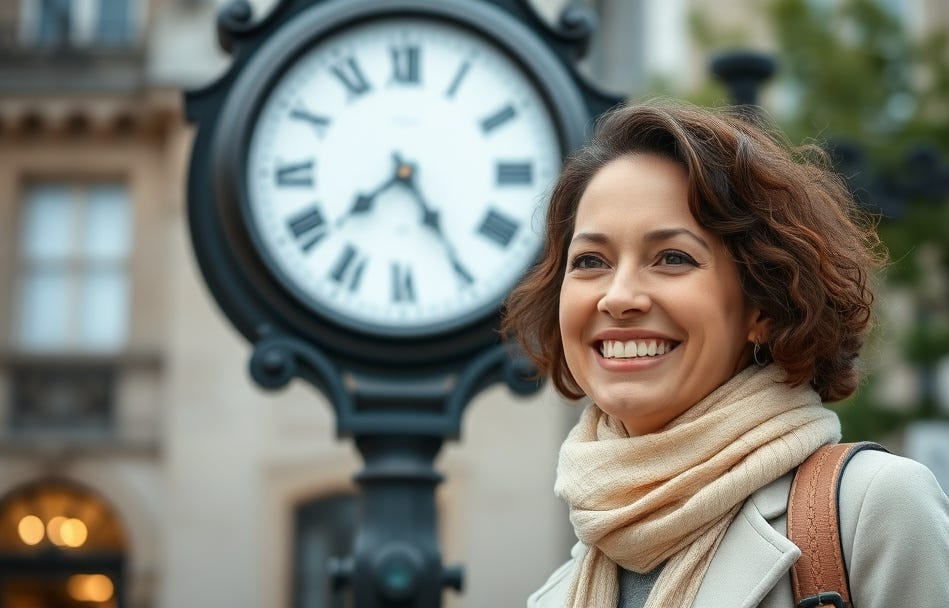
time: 7:24
